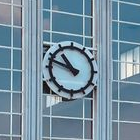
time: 10:48
